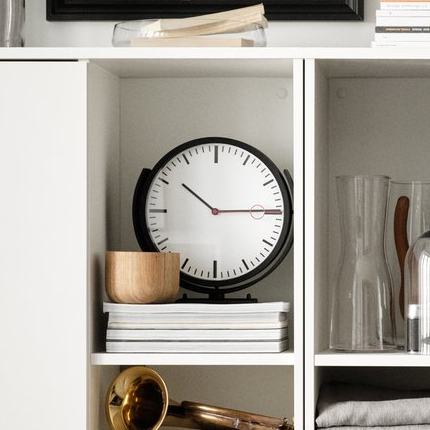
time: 10:14
